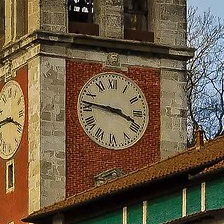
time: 3:46
